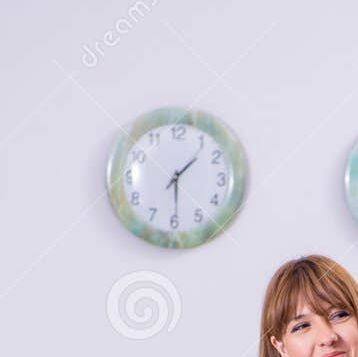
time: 1:29
